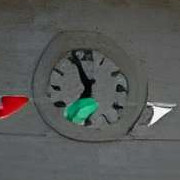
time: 6:56
